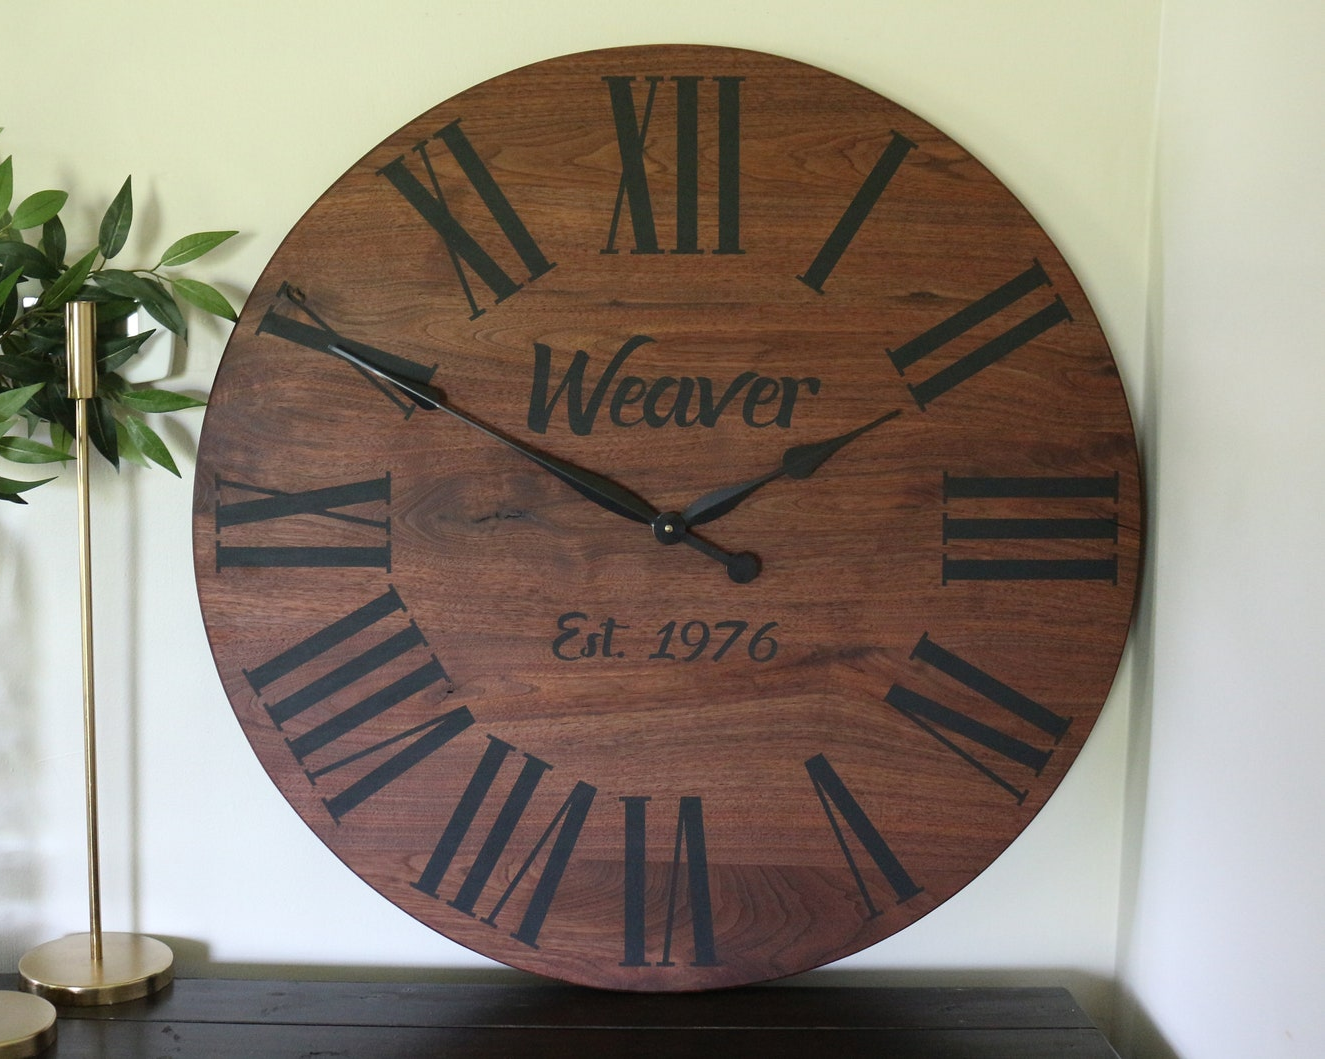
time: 1:50
